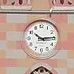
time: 10:14
